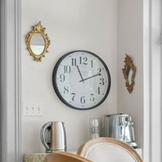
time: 11:11
